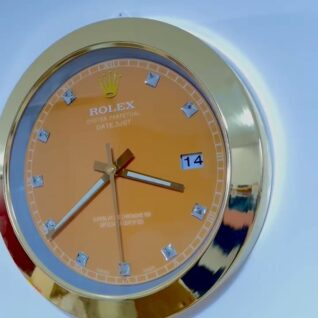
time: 3:39
